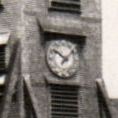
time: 10:07
